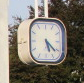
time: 5:21
